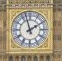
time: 1:57
